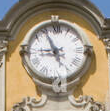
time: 8:55
